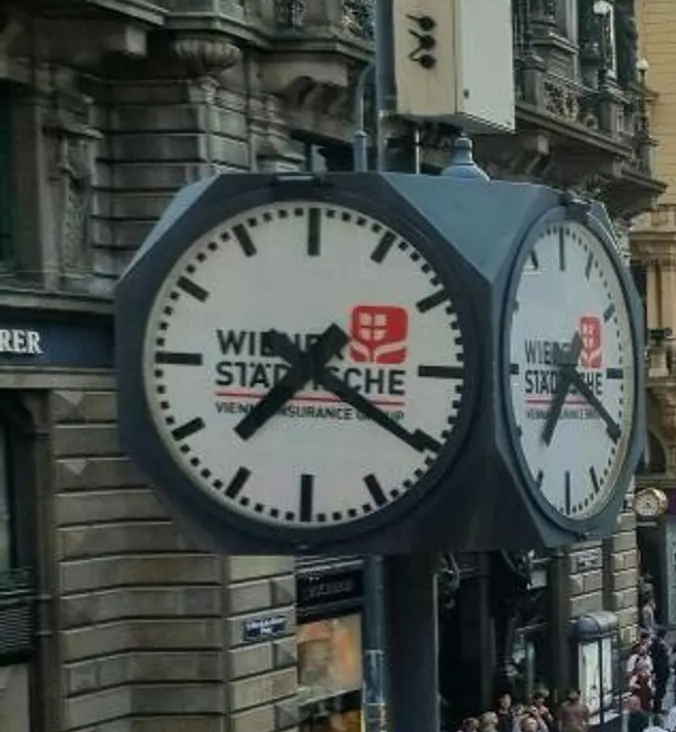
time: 7:20
